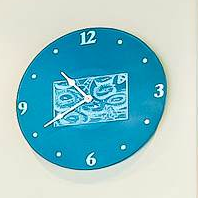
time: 10:40
